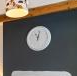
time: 11:02
